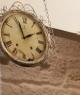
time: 1:56
